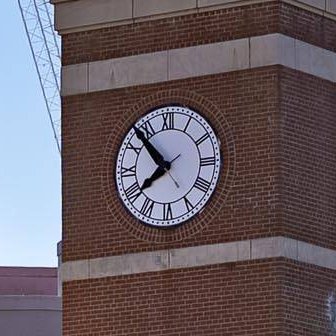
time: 7:53
